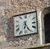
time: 6:25
